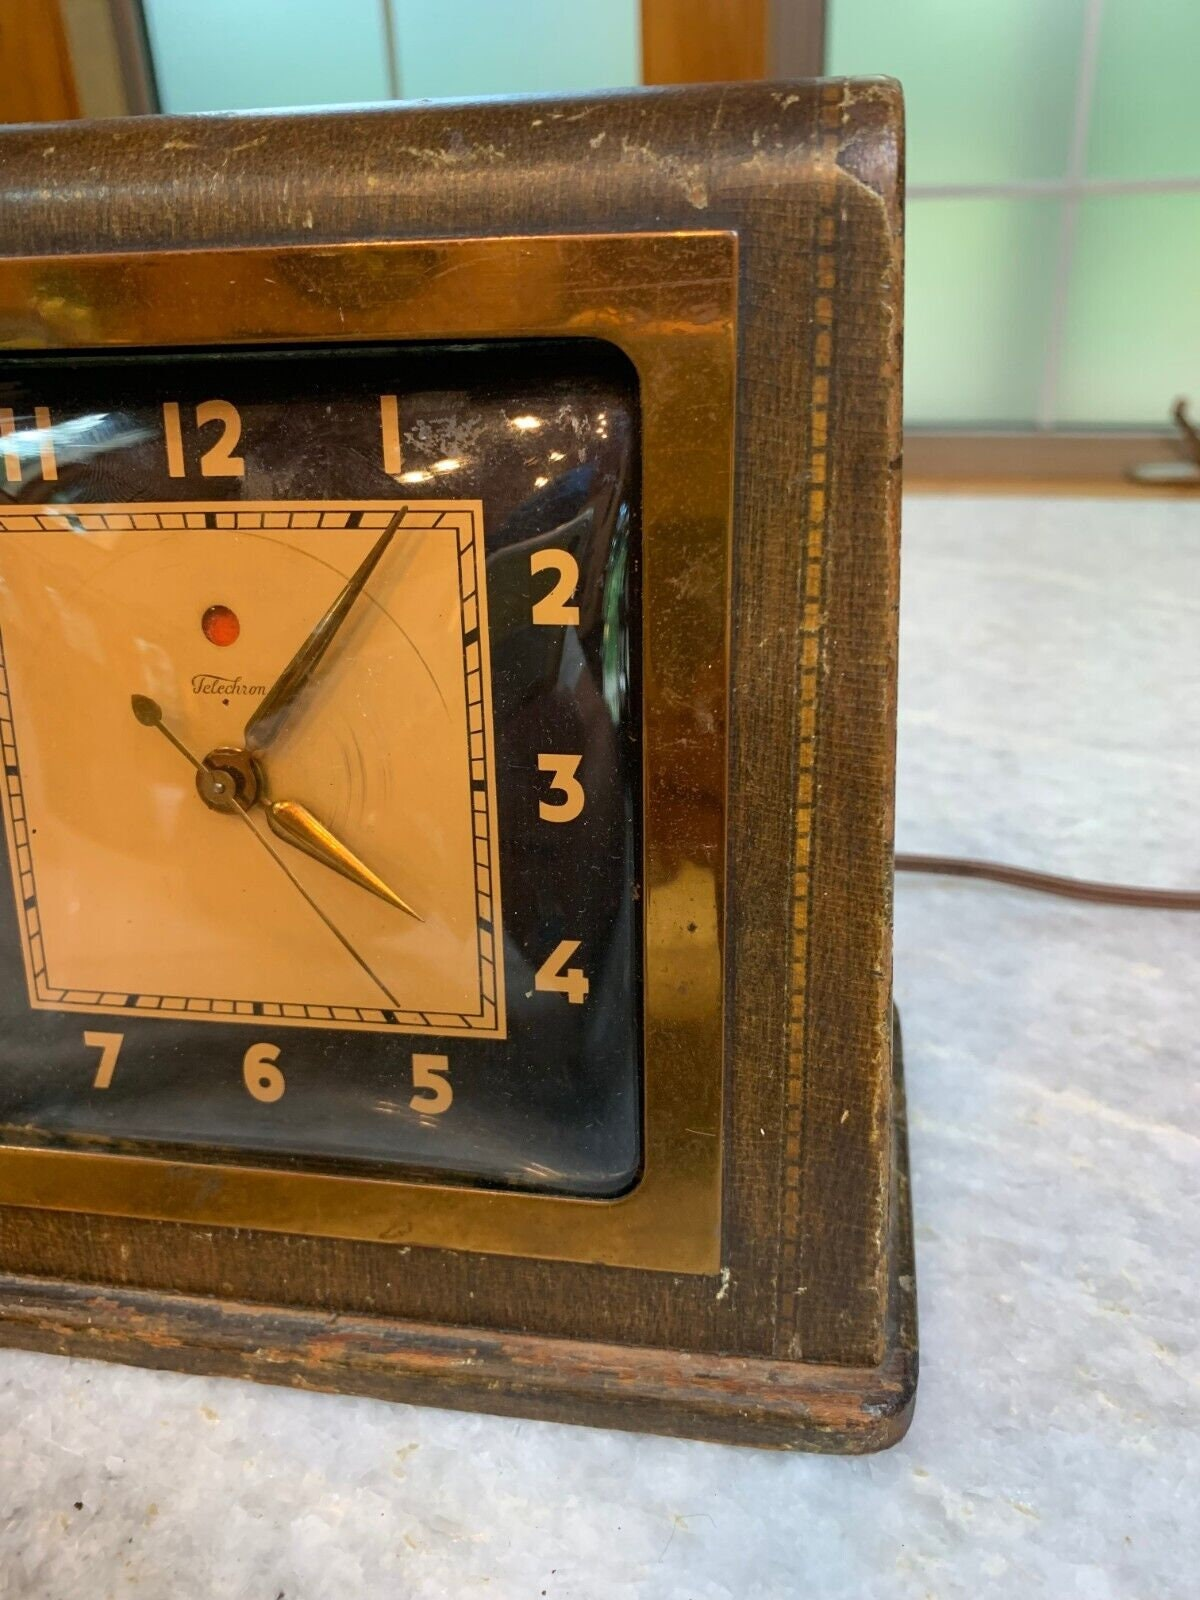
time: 4:06
